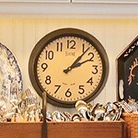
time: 2:06
